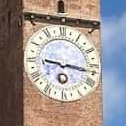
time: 9:16
